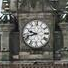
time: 9:42
